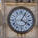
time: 4:04
